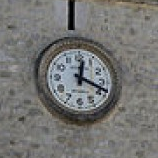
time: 12:18
